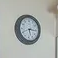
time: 5:15
